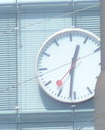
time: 12:31
